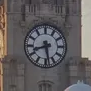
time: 8:28
